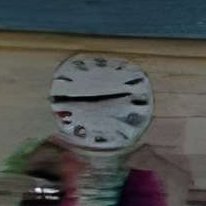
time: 2:44
